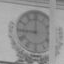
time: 8:59
